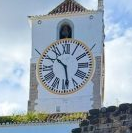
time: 10:28
